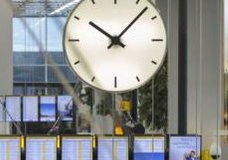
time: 10:07
